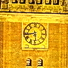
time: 5:43
